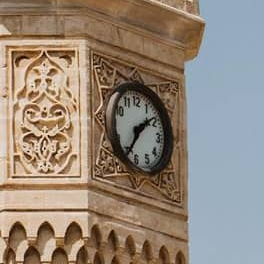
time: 1:34
